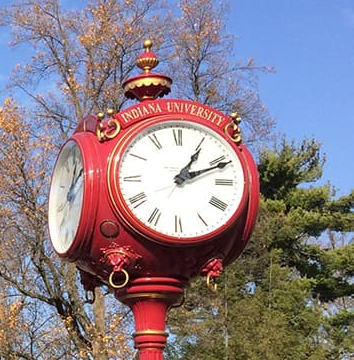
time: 1:11
